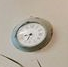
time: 8:33
